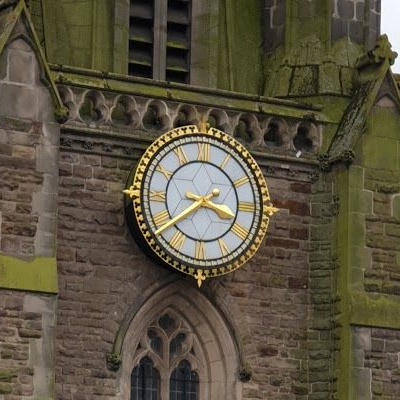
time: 3:38
